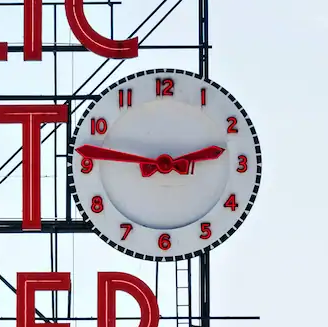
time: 2:46
